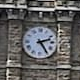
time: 2:24
